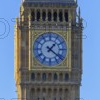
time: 1:21
